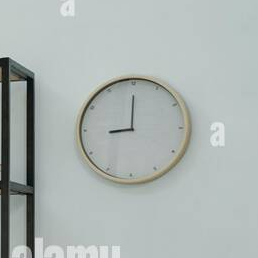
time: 9:00
